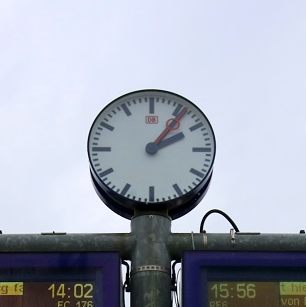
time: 2:06
